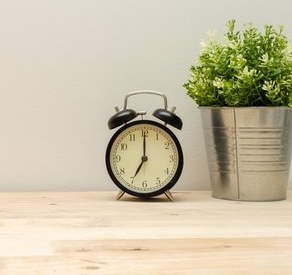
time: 7:00
